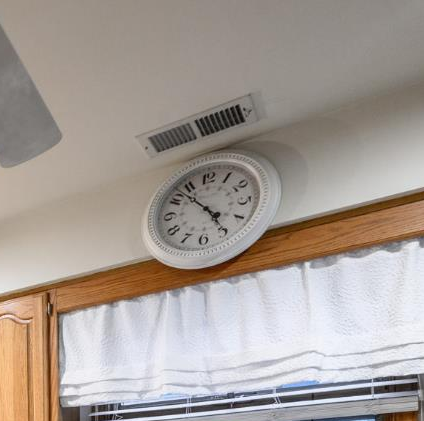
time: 4:53
